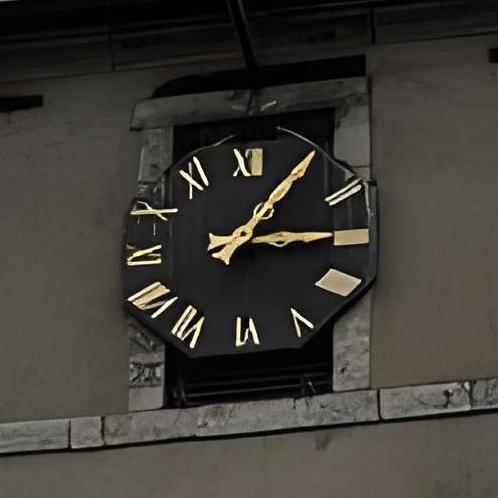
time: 3:05
